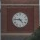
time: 4:46
